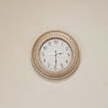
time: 2:29
